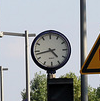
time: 4:42
